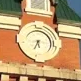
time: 5:33
